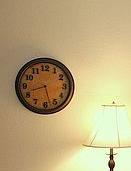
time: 8:27
